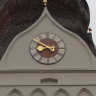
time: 7:49
